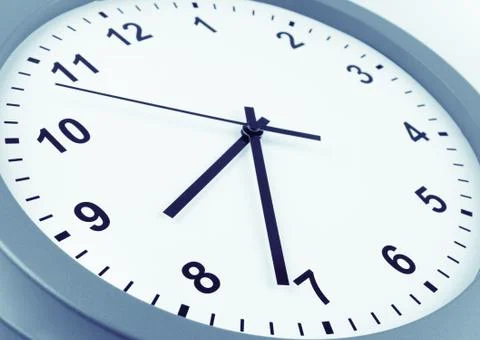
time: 7:31
